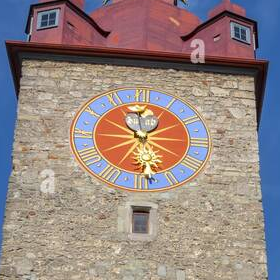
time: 10:28
